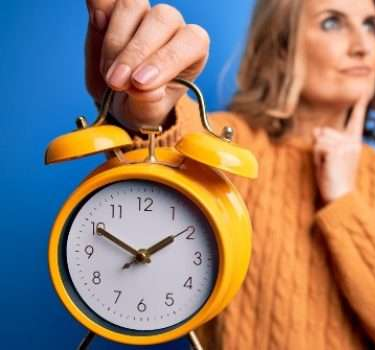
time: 1:50
